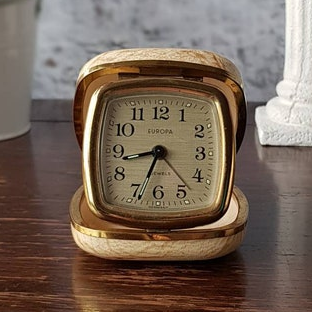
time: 6:43
